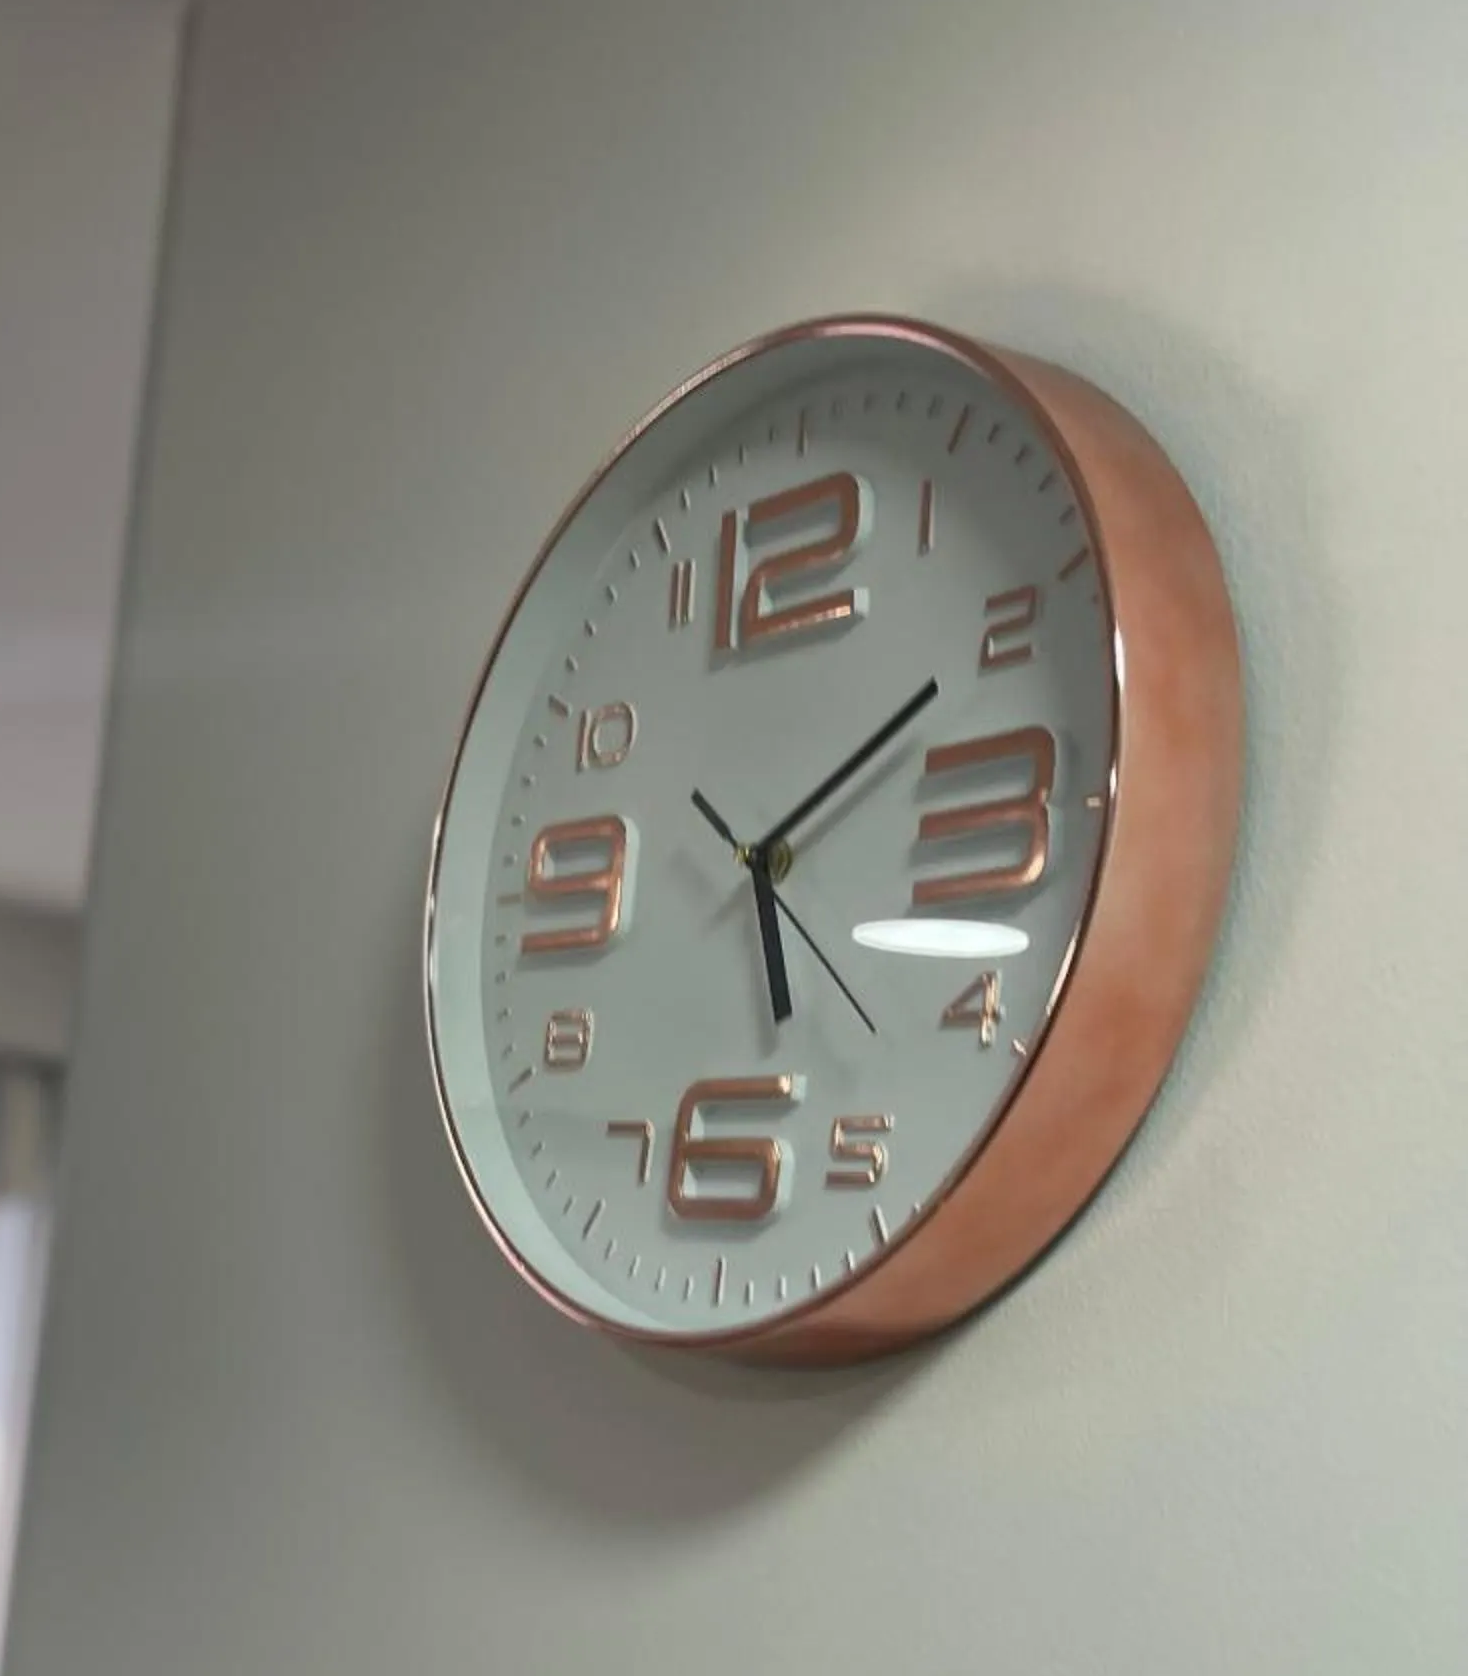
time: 5:09
